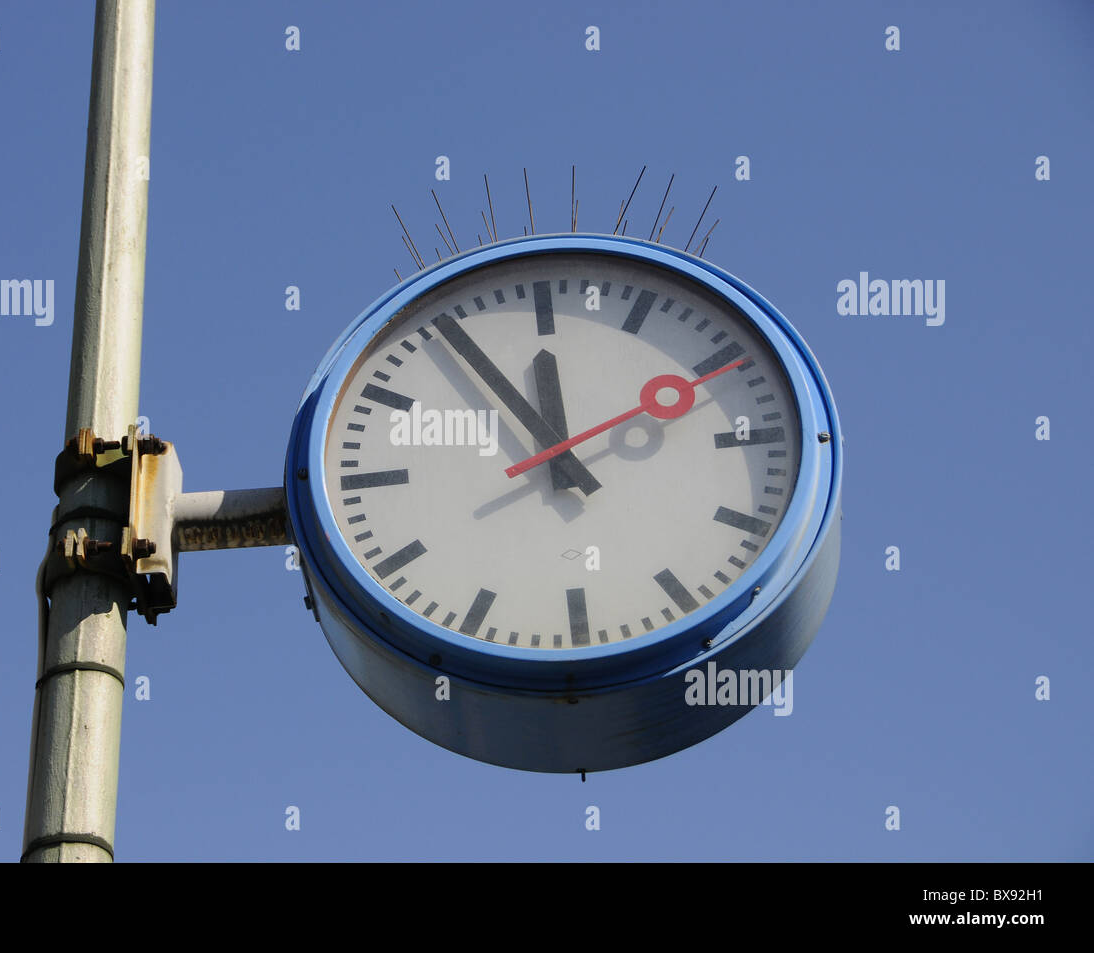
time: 11:54
